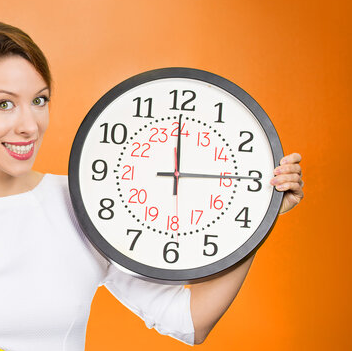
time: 2:59
